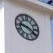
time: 9:20
